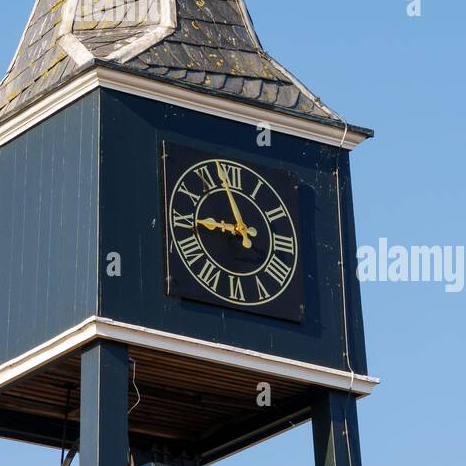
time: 8:57
